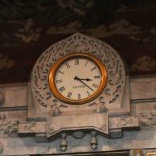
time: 3:22
